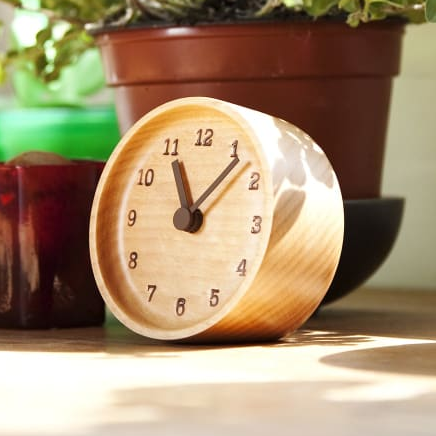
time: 11:07
